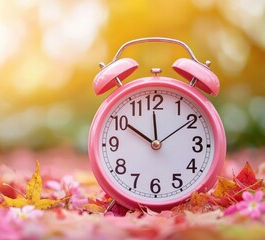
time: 11:50
